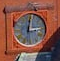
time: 3:02
